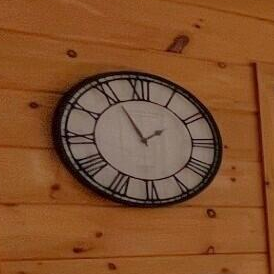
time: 1:55
